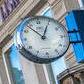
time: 12:53
